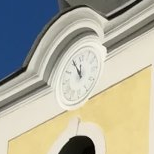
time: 11:55
